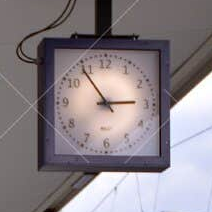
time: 2:54
